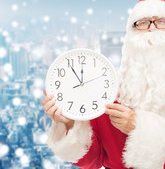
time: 11:54
